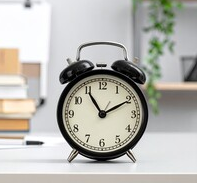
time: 11:10
